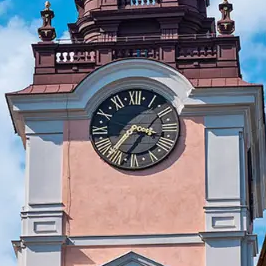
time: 3:36
